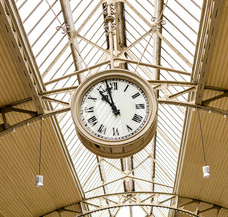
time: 10:58
